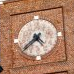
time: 4:37
